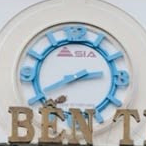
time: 2:40
